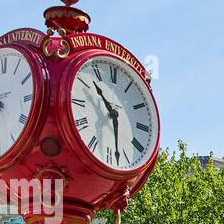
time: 10:28
